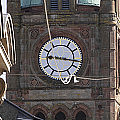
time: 9:16
